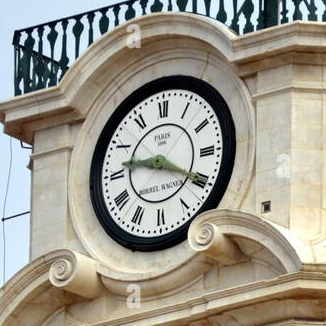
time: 9:19
